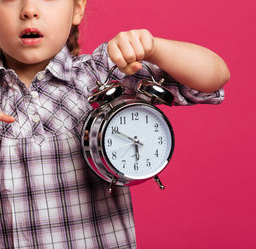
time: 5:49
